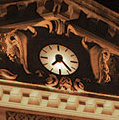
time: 7:23
